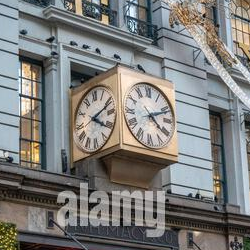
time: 4:10
